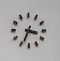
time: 3:34
